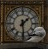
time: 1:29
